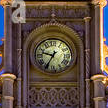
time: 9:35
